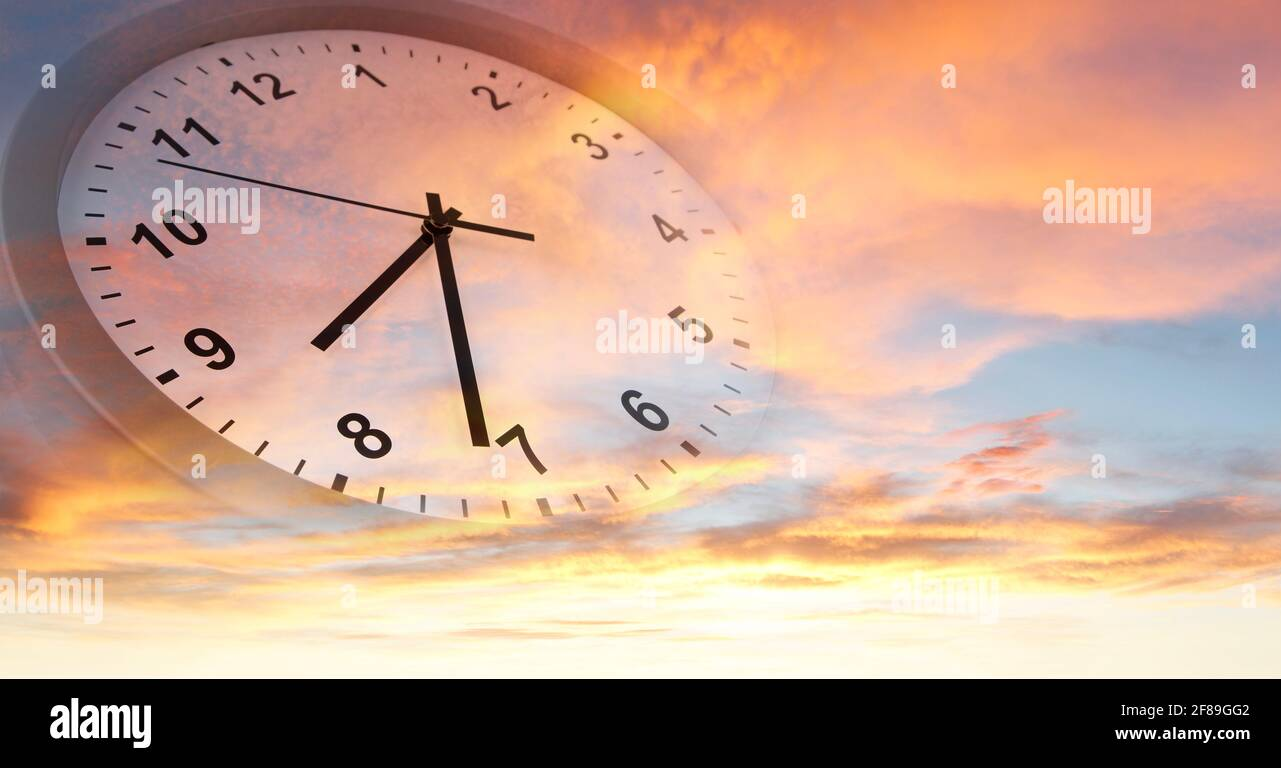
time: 7:31
